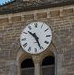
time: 10:26
